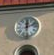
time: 12:11
